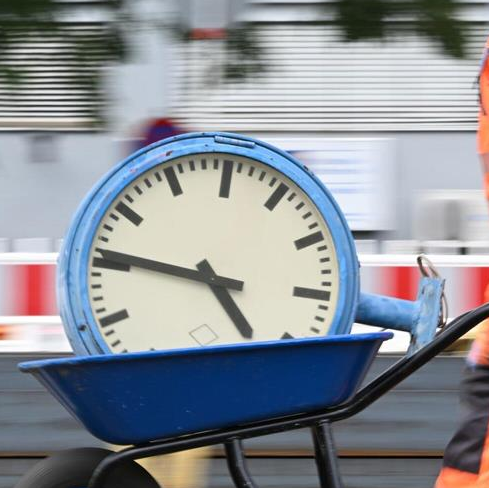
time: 4:46
